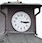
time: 3:14
